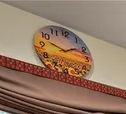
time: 1:47
